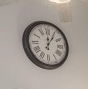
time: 12:05
